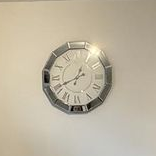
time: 12:41
